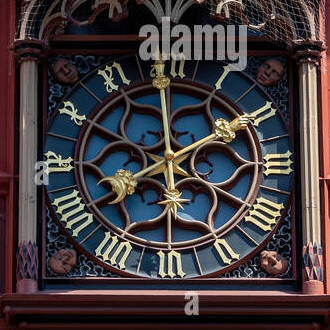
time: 8:09
